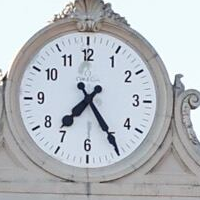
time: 7:24
